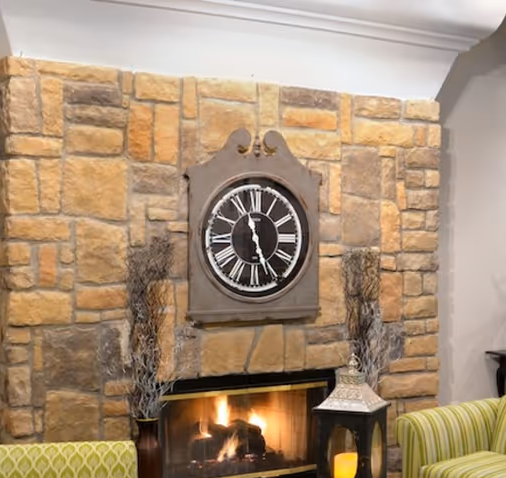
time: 11:25
